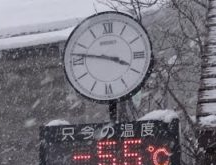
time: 3:46
